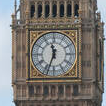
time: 11:33
